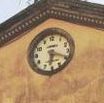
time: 6:18
